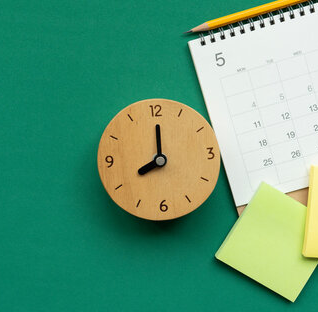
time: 8:00
